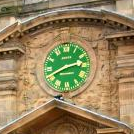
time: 2:40
